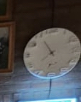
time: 7:54
